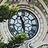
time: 11:28
